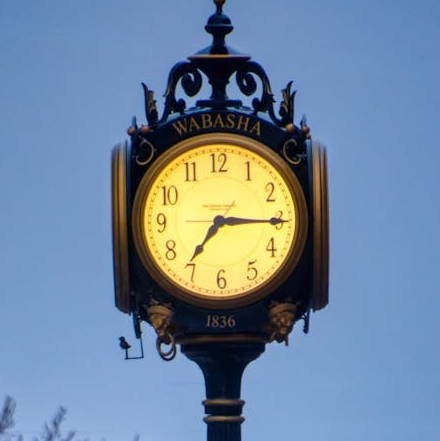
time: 7:15
